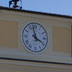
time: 3:57
